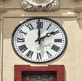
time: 1:59
